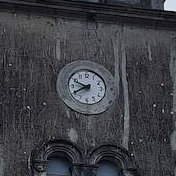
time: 9:40
